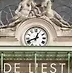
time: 12:41
